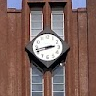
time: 2:42
